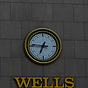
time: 6:46
